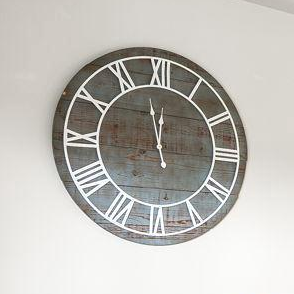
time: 11:57
